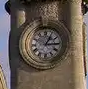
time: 1:14
